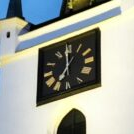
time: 6:59
